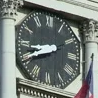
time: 8:40
